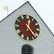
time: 12:24
